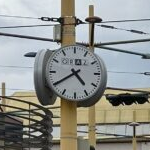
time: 4:39
